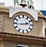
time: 2:44
